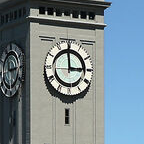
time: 2:59
